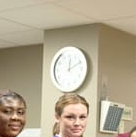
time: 12:10
